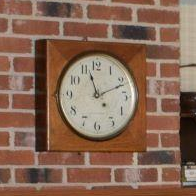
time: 11:11
